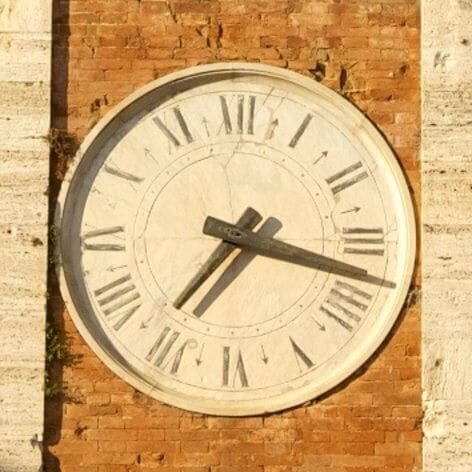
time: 7:17
